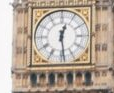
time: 12:28
